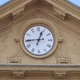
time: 12:44
